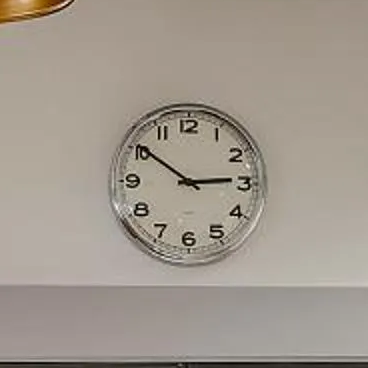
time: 2:50
